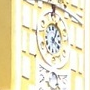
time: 4:04
